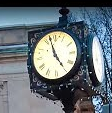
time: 4:57
